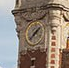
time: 1:37
